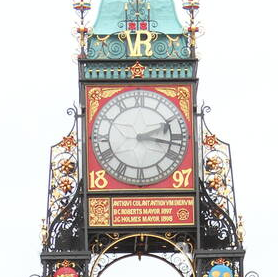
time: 2:16
